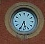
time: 5:34
